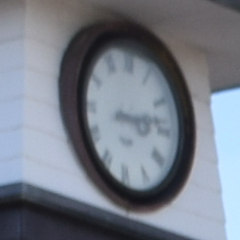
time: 3:13
